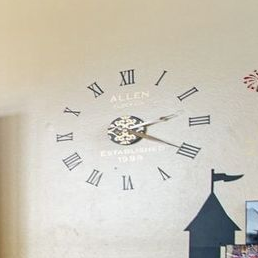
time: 2:19
